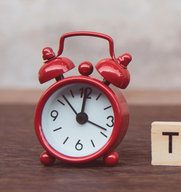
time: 12:18
